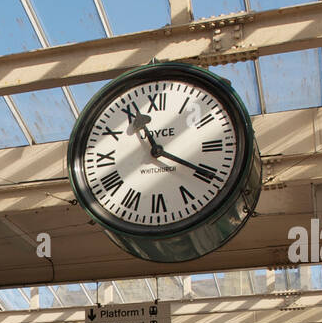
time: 11:19
